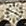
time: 3:48
